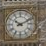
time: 10:10
